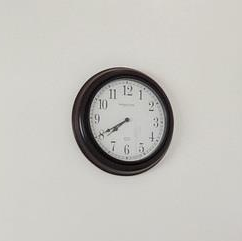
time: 7:39
